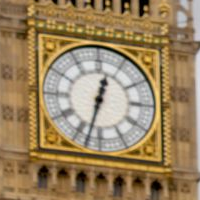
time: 12:32
